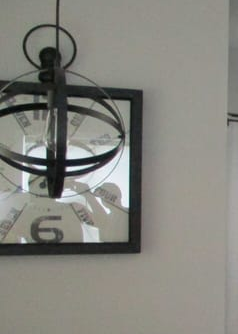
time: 2:48
